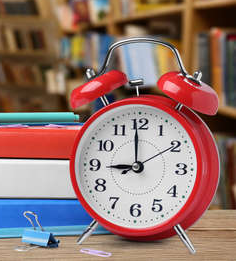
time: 8:59
